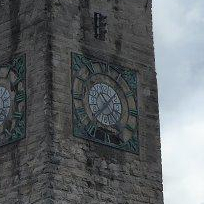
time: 10:37
